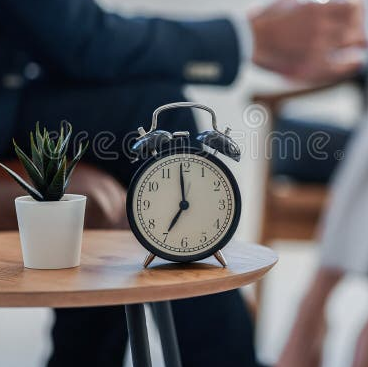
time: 6:59
